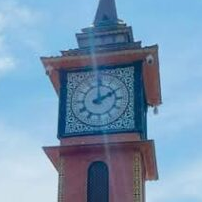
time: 2:00
